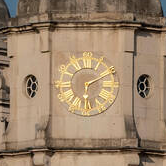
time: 6:10
